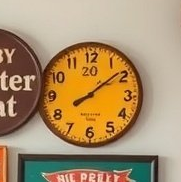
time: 8:08
